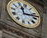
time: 11:12
